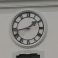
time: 1:43
